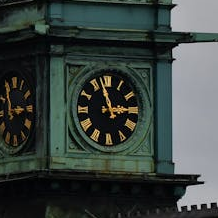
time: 2:57
